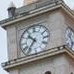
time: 10:36
